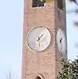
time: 1:28
